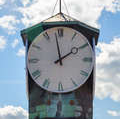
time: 1:58
